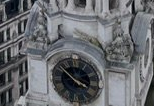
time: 3:50
